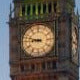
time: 8:48
